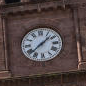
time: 1:38
